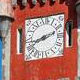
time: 8:11
